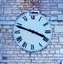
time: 3:48
